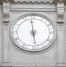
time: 5:59
